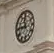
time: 11:44
